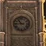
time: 10:45
